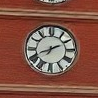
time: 1:41
